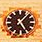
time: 5:06
